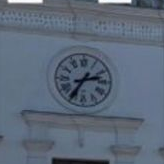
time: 2:35
